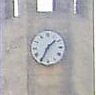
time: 1:34
